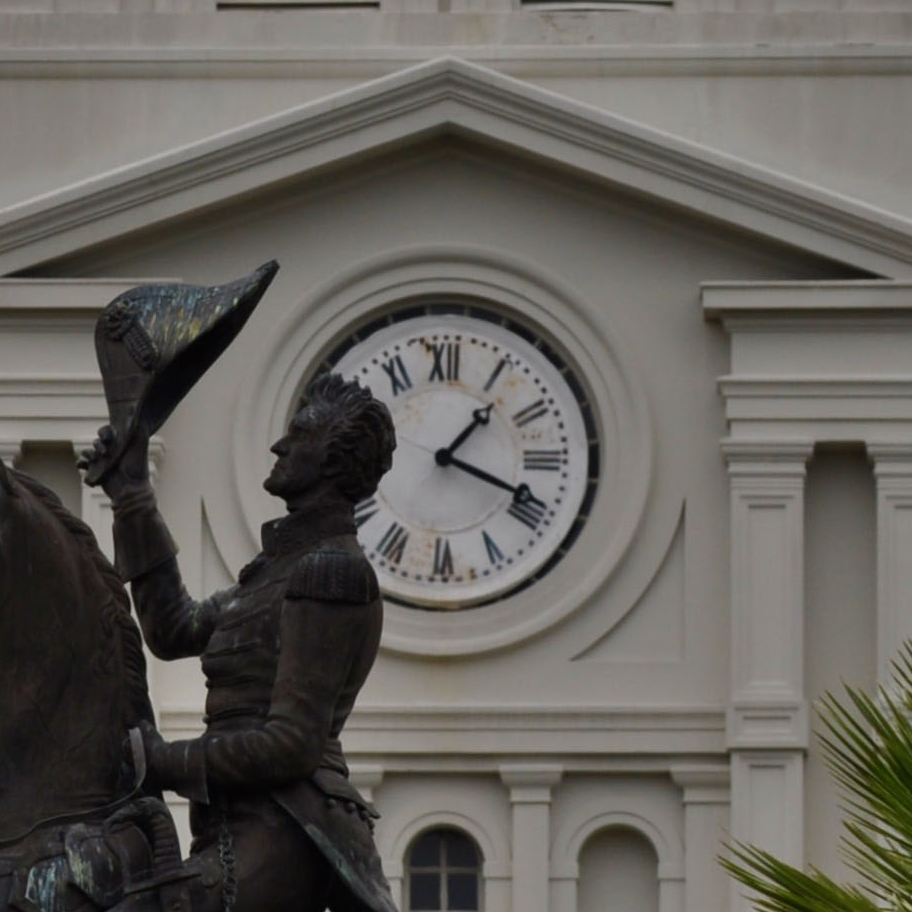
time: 1:18
